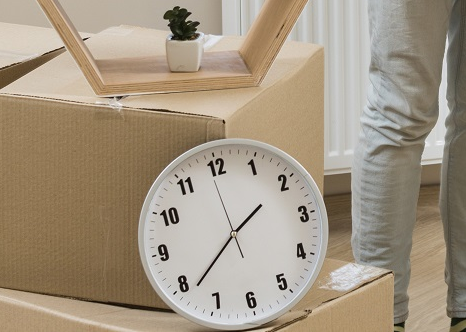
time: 1:38
